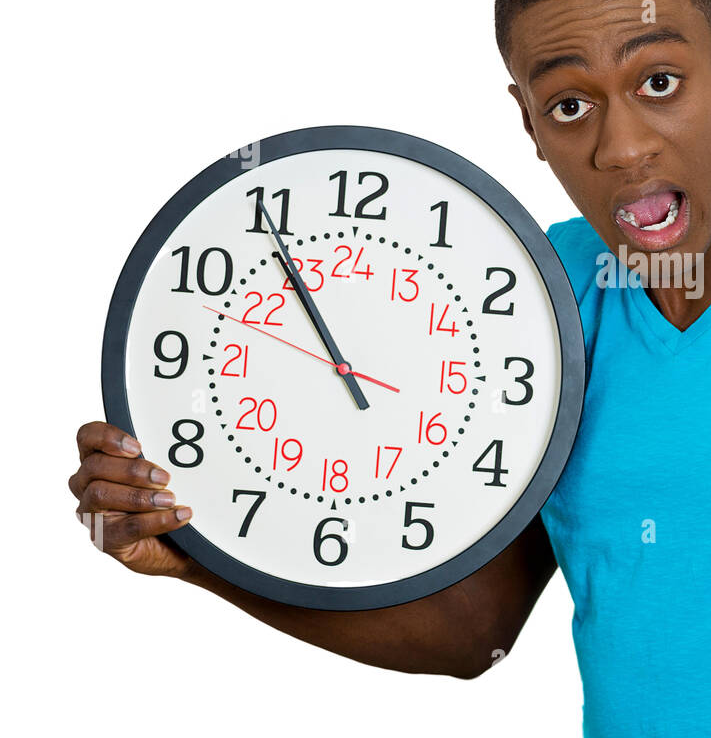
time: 10:54
